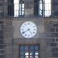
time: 4:40
